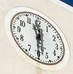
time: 11:30
